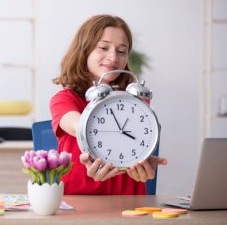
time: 3:55
